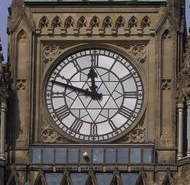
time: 11:47
